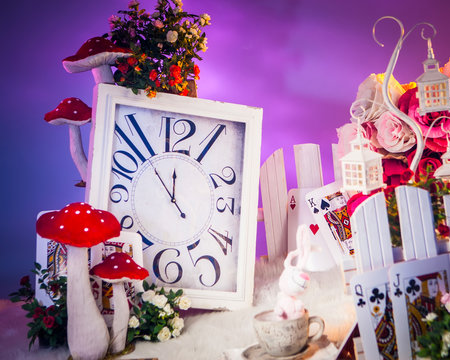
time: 11:52
